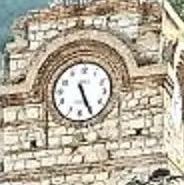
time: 5:25
